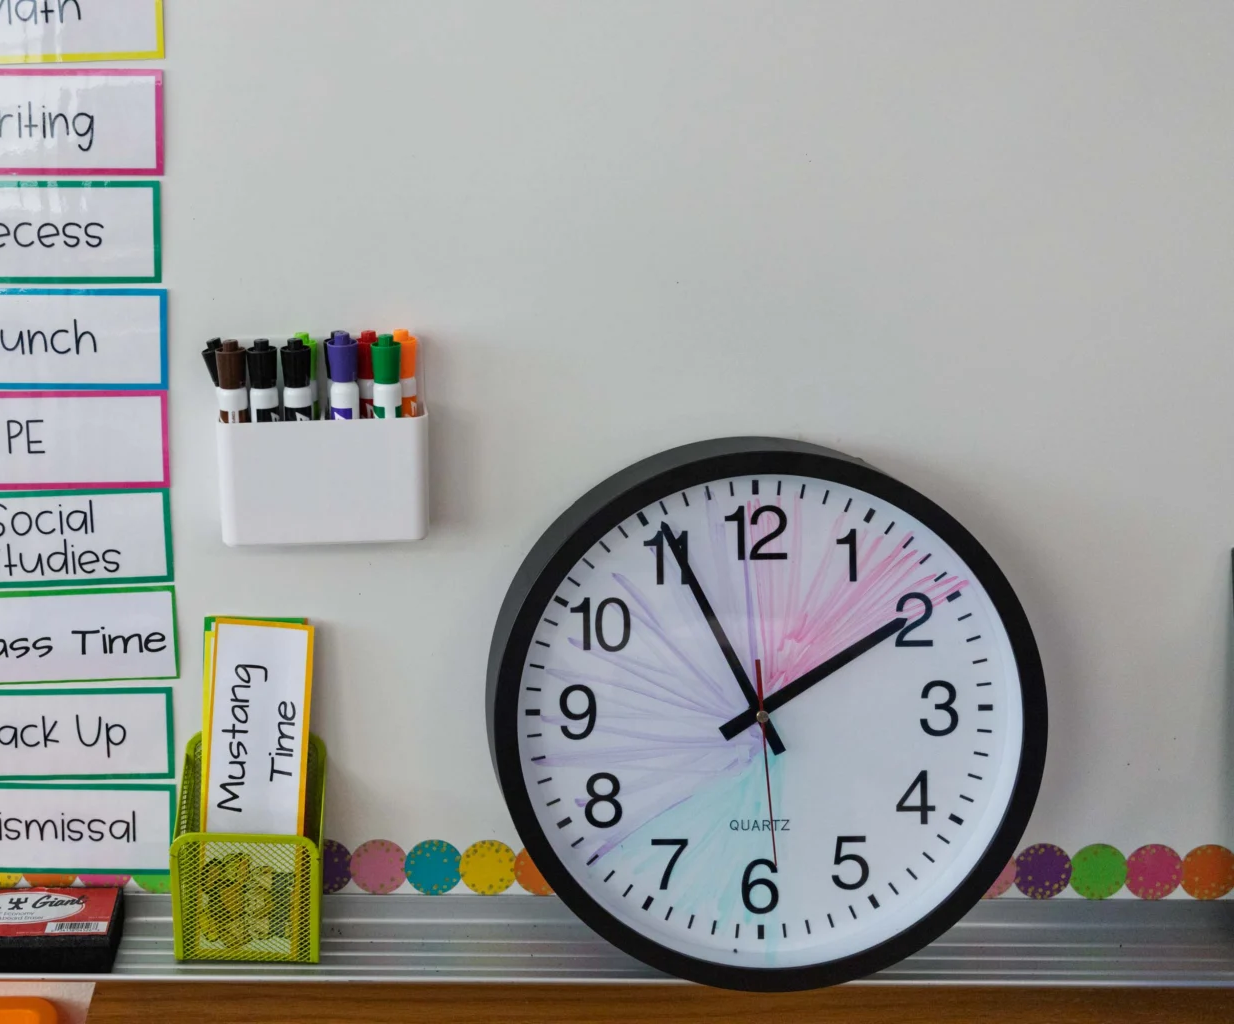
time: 1:55
